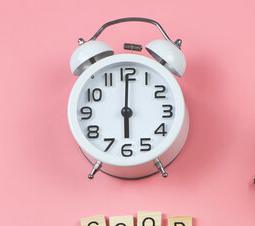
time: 6:00
